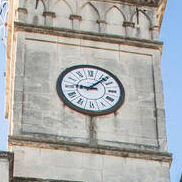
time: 9:07
